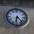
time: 6:23
